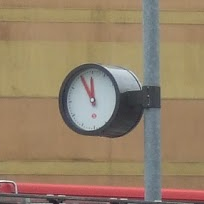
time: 11:55
